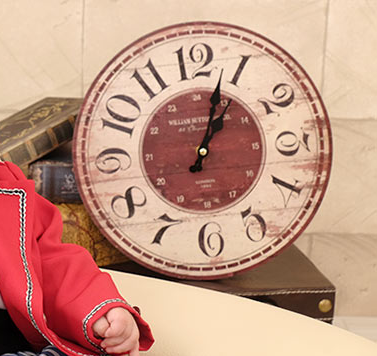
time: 1:03
